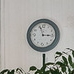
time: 2:56
